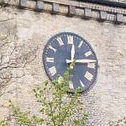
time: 12:13
